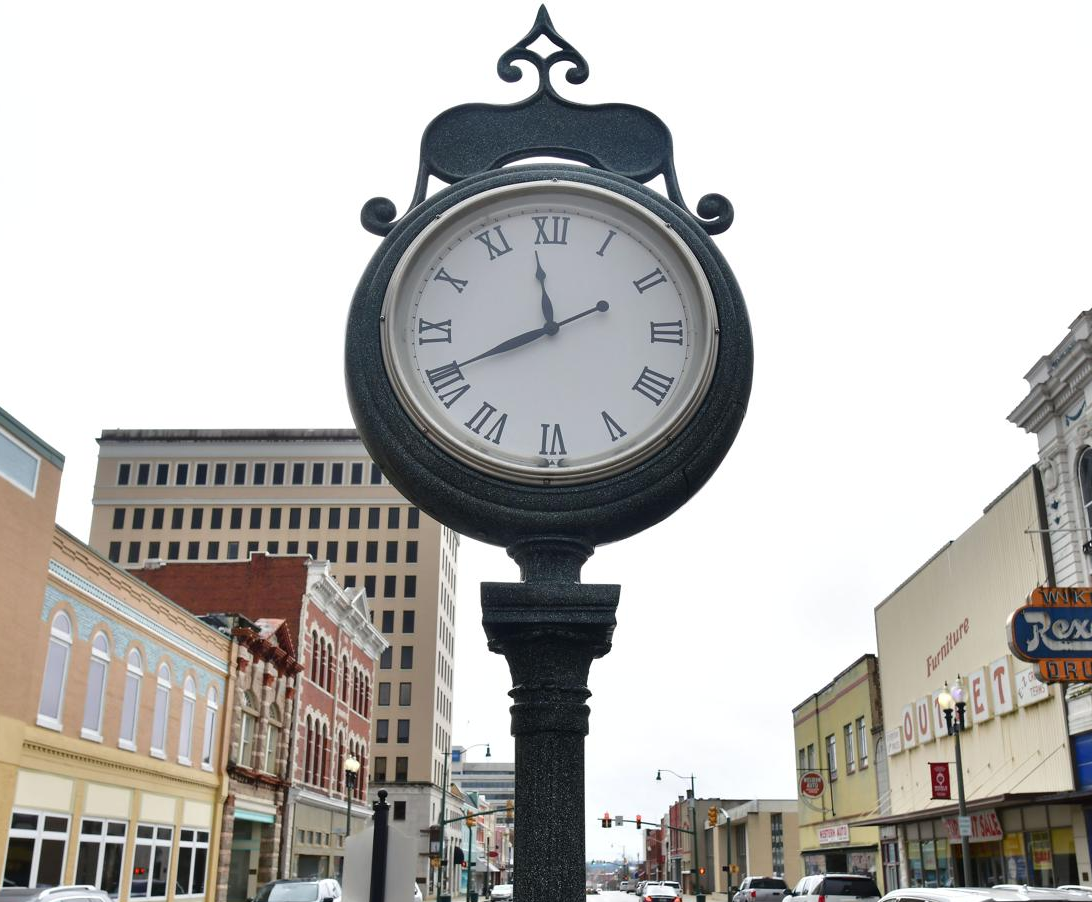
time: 11:40
